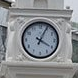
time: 4:04
